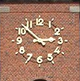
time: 2:52
